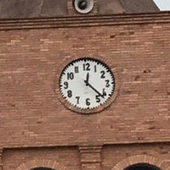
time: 12:22
